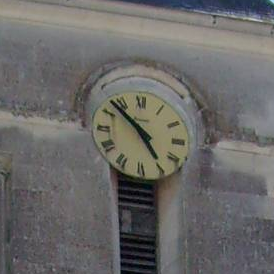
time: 4:52
